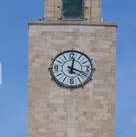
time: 12:18
